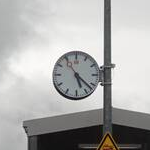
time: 5:22
